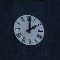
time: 2:01
